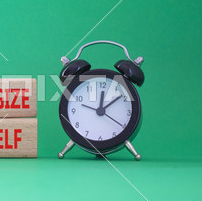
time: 12:07
